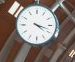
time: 4:18
